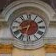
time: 6:40
